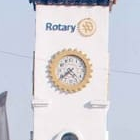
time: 4:38
